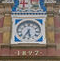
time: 5:35
